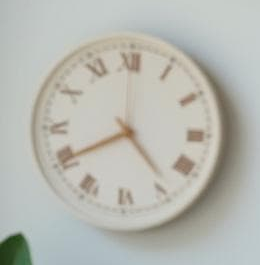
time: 4:40
